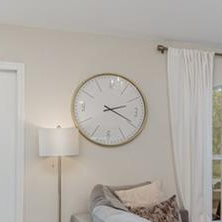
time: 2:18
